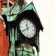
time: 11:39
